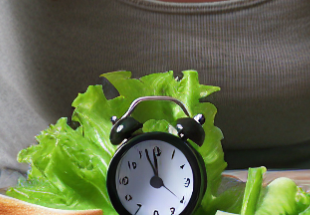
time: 11:56
